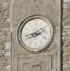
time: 1:43
